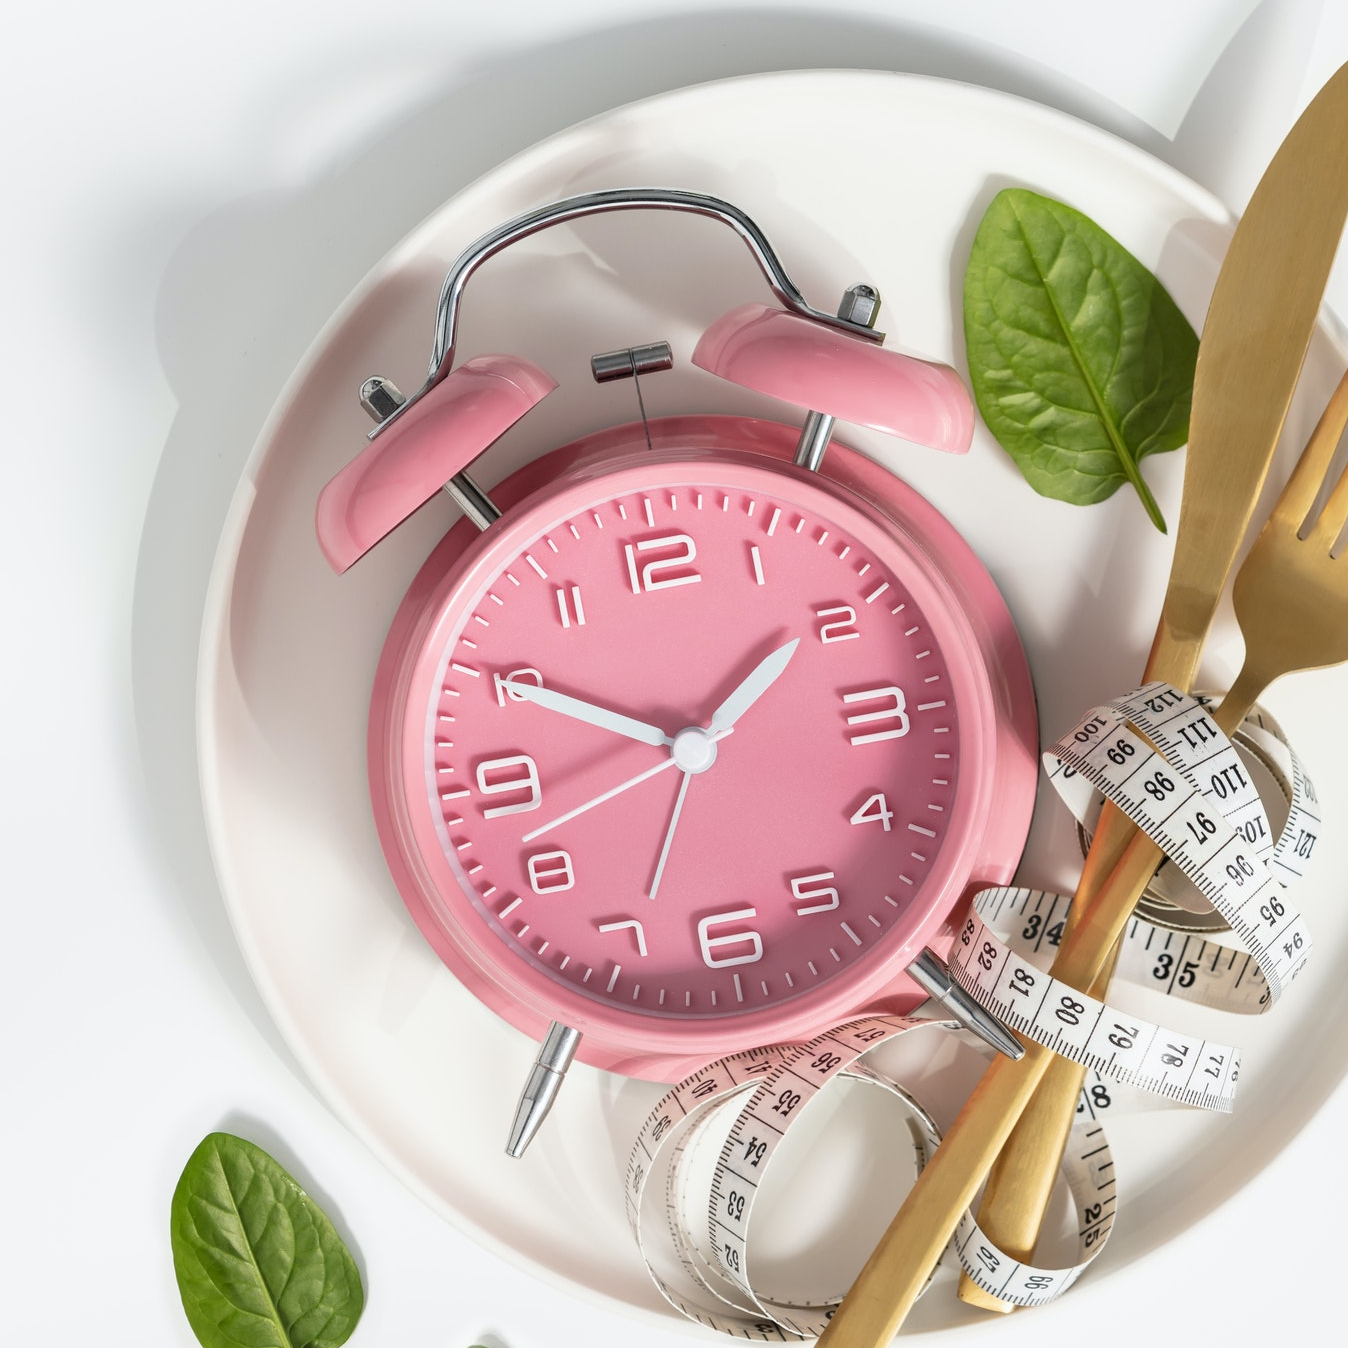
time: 1:50
